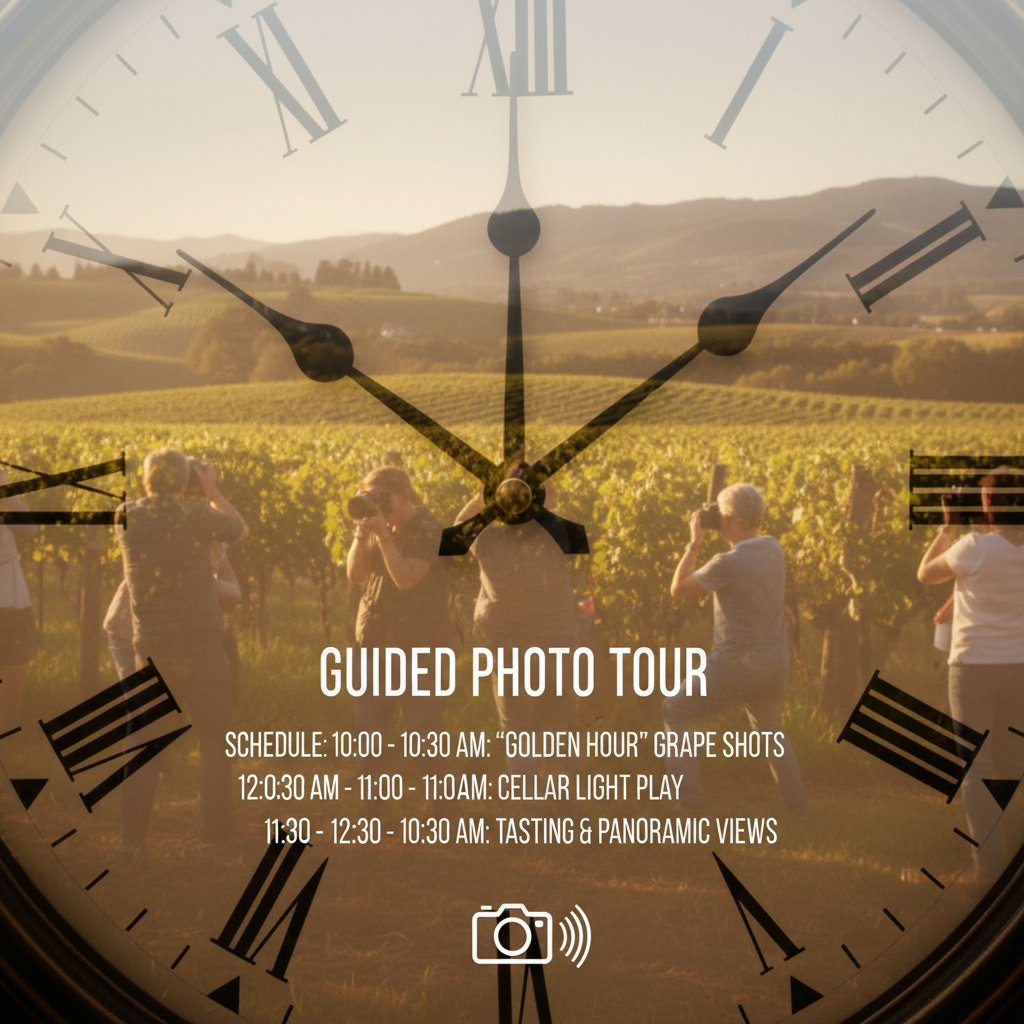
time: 1:50
